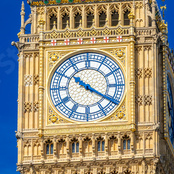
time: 10:20
